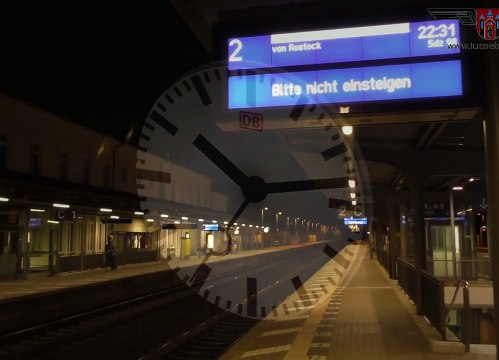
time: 10:13
